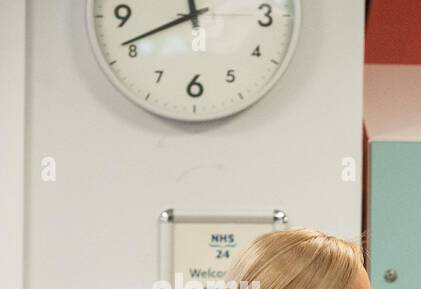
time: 11:41
